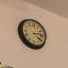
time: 4:12
